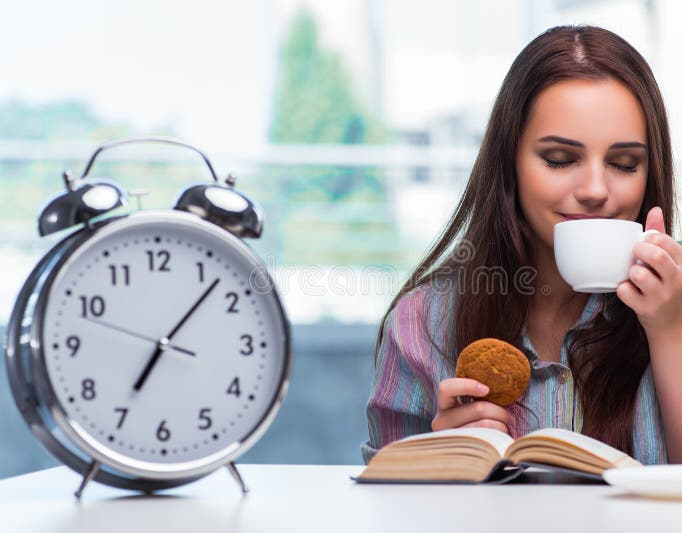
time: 7:07
